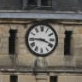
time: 3:45
